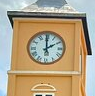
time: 1:59
